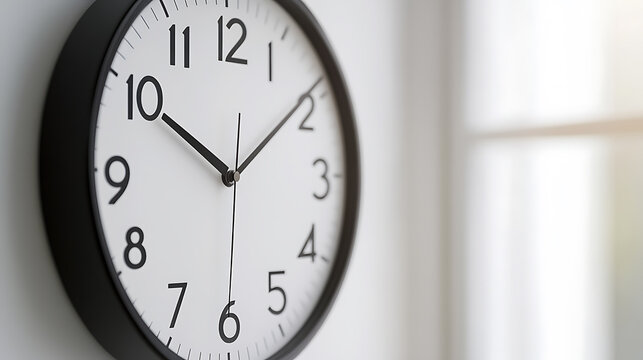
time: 10:08
